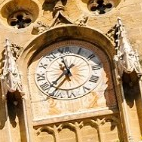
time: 11:37
